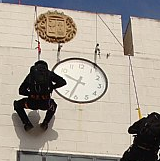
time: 9:32
